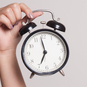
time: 6:58
